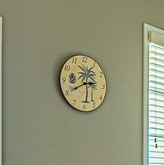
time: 2:40
